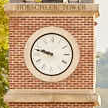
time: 9:47
